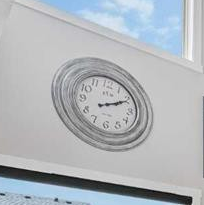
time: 2:10
